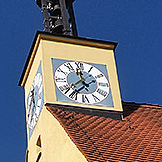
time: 11:37
